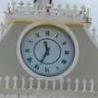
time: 11:34
